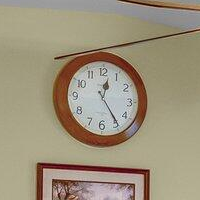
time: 12:24
